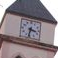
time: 3:32
